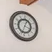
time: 12:33
